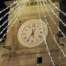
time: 5:35
